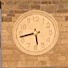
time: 5:42
